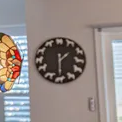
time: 1:29
